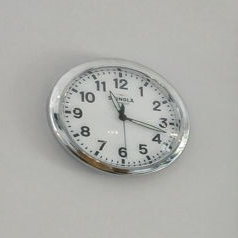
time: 11:17
